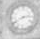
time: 2:40
